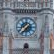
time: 1:37
